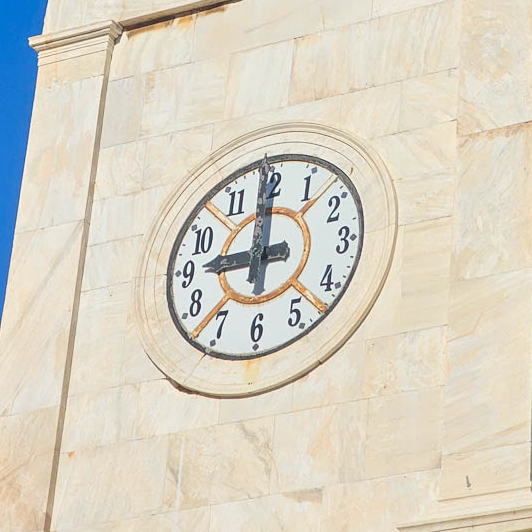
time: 8:59
